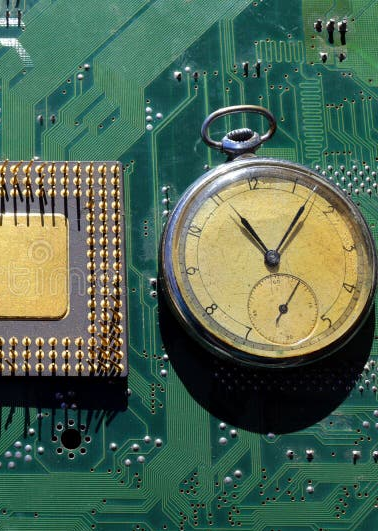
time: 11:07
